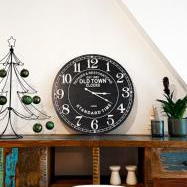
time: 3:20
